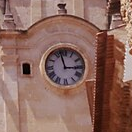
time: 2:57
